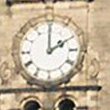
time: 2:00
